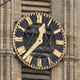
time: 12:37
